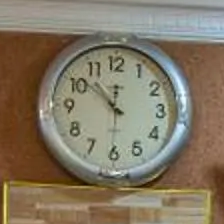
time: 11:52
